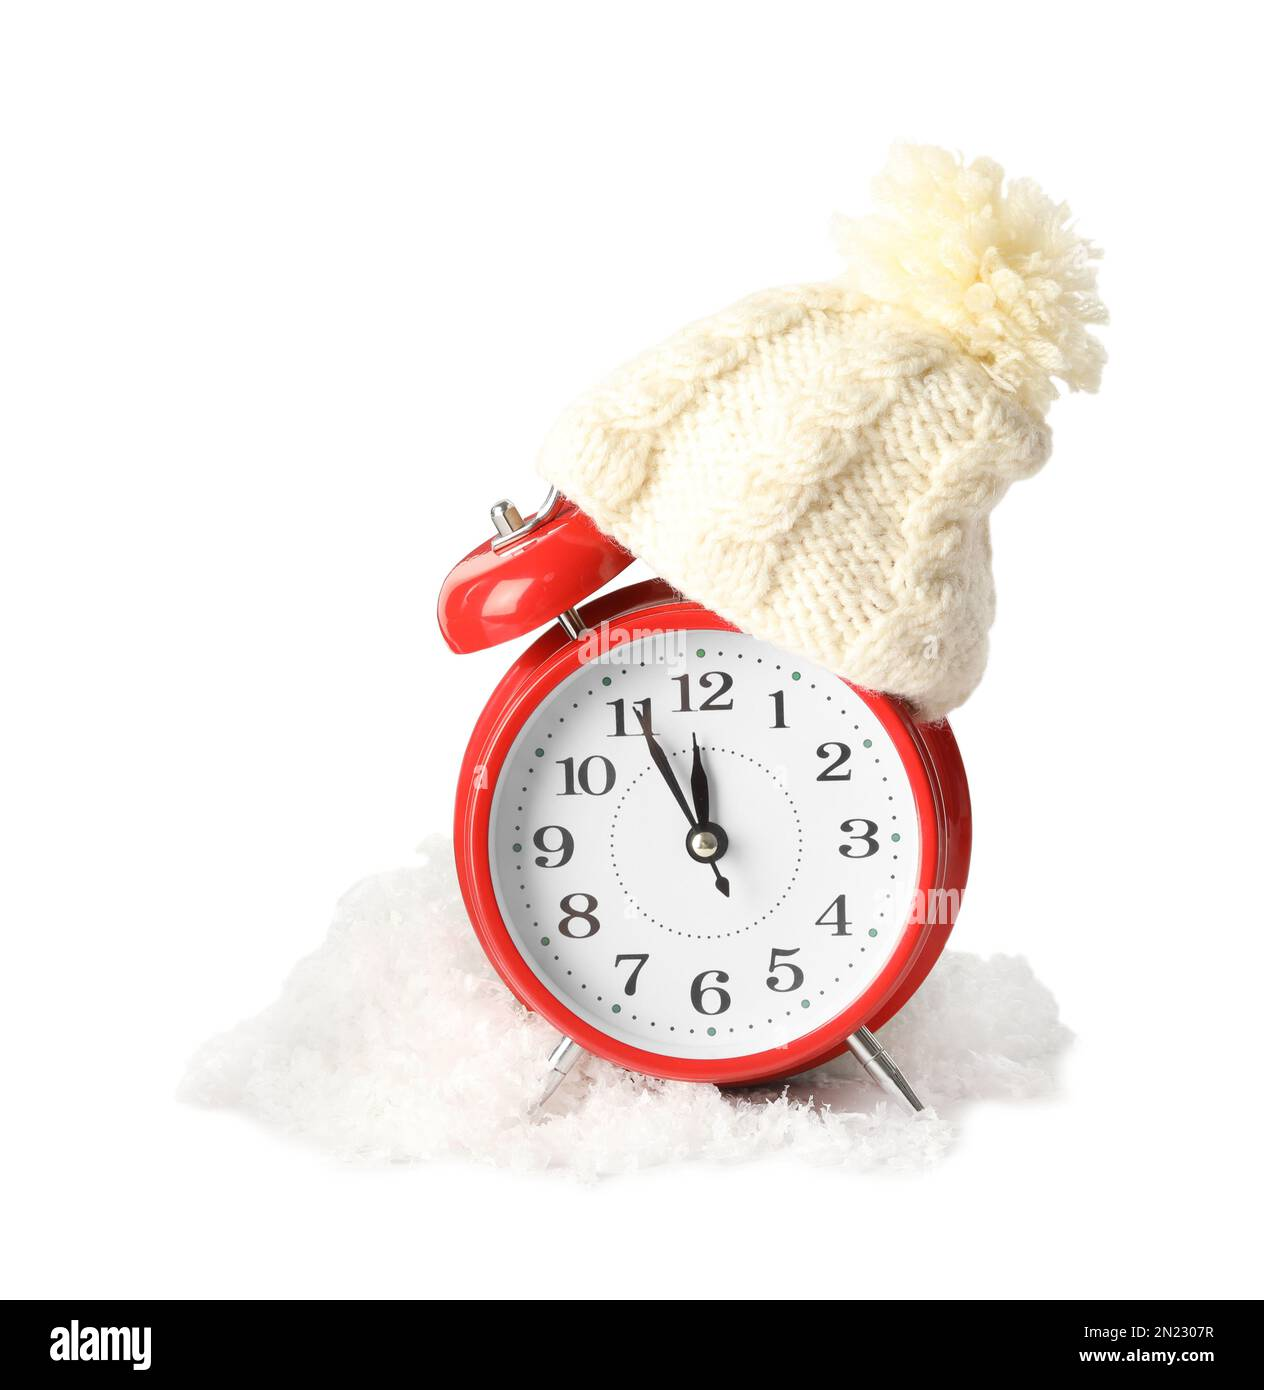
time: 11:55
